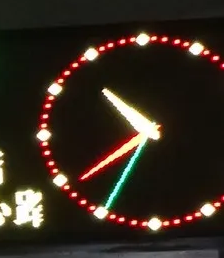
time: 10:39
